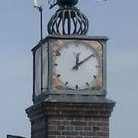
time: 12:09
